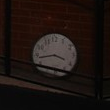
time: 3:43
